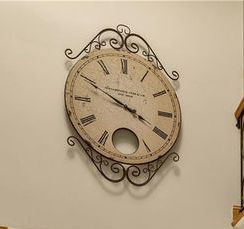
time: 3:49
